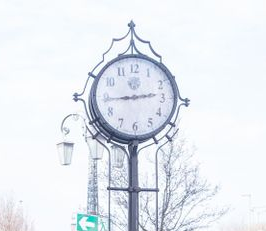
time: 2:43
